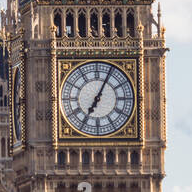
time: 7:04
